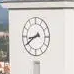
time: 8:39
